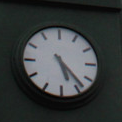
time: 5:23
